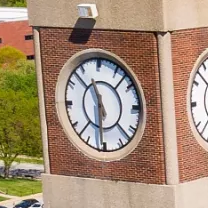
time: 11:30
